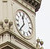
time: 11:36
